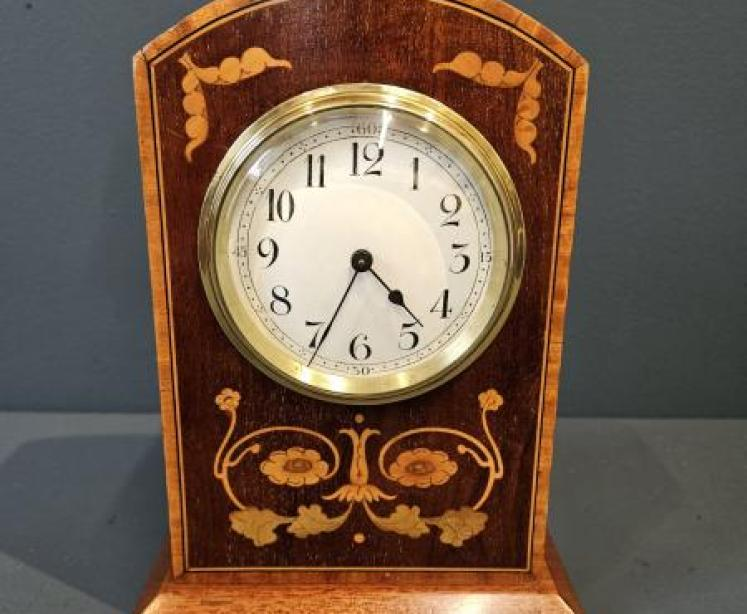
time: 4:34
